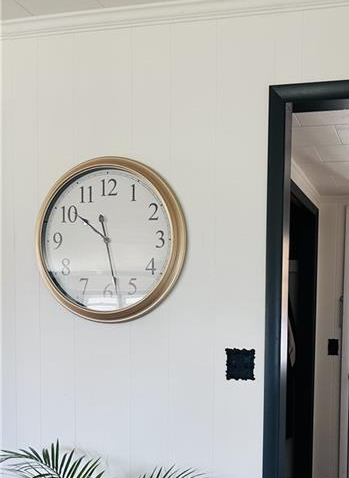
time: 10:28
